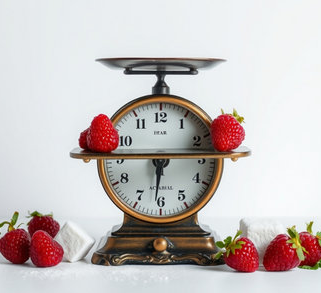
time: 6:13
